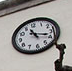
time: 11:18
